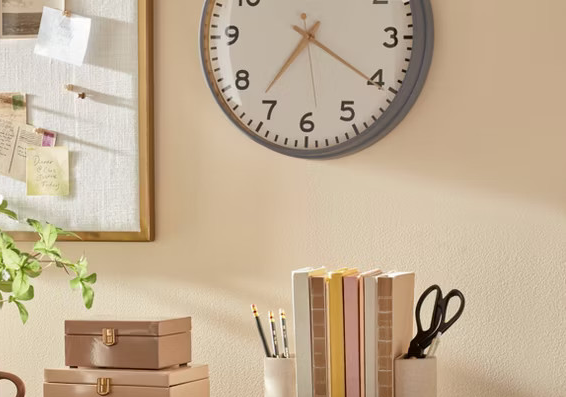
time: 7:20
